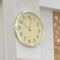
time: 10:02
